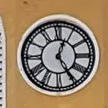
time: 12:24
